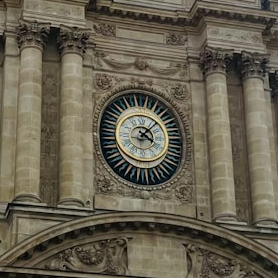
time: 4:07
